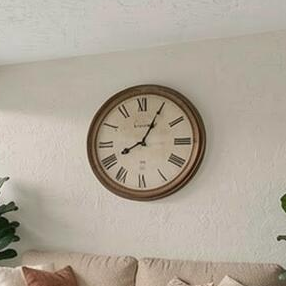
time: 8:04
